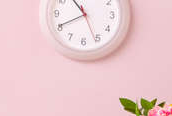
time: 10:40
